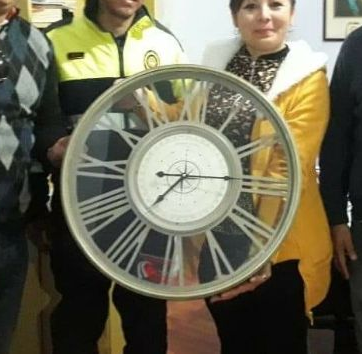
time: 7:15
